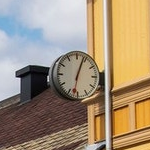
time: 12:32
